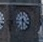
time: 6:21
